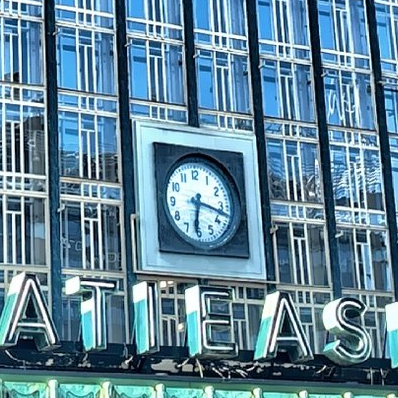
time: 6:17
